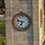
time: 6:47
